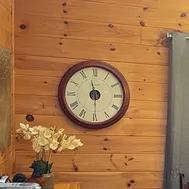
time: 11:29
